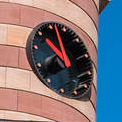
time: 9:57
